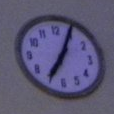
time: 7:04
